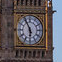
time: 5:55
